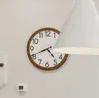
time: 4:41
